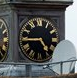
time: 4:44
